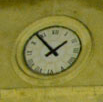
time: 1:53
